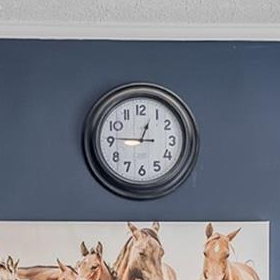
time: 12:45
